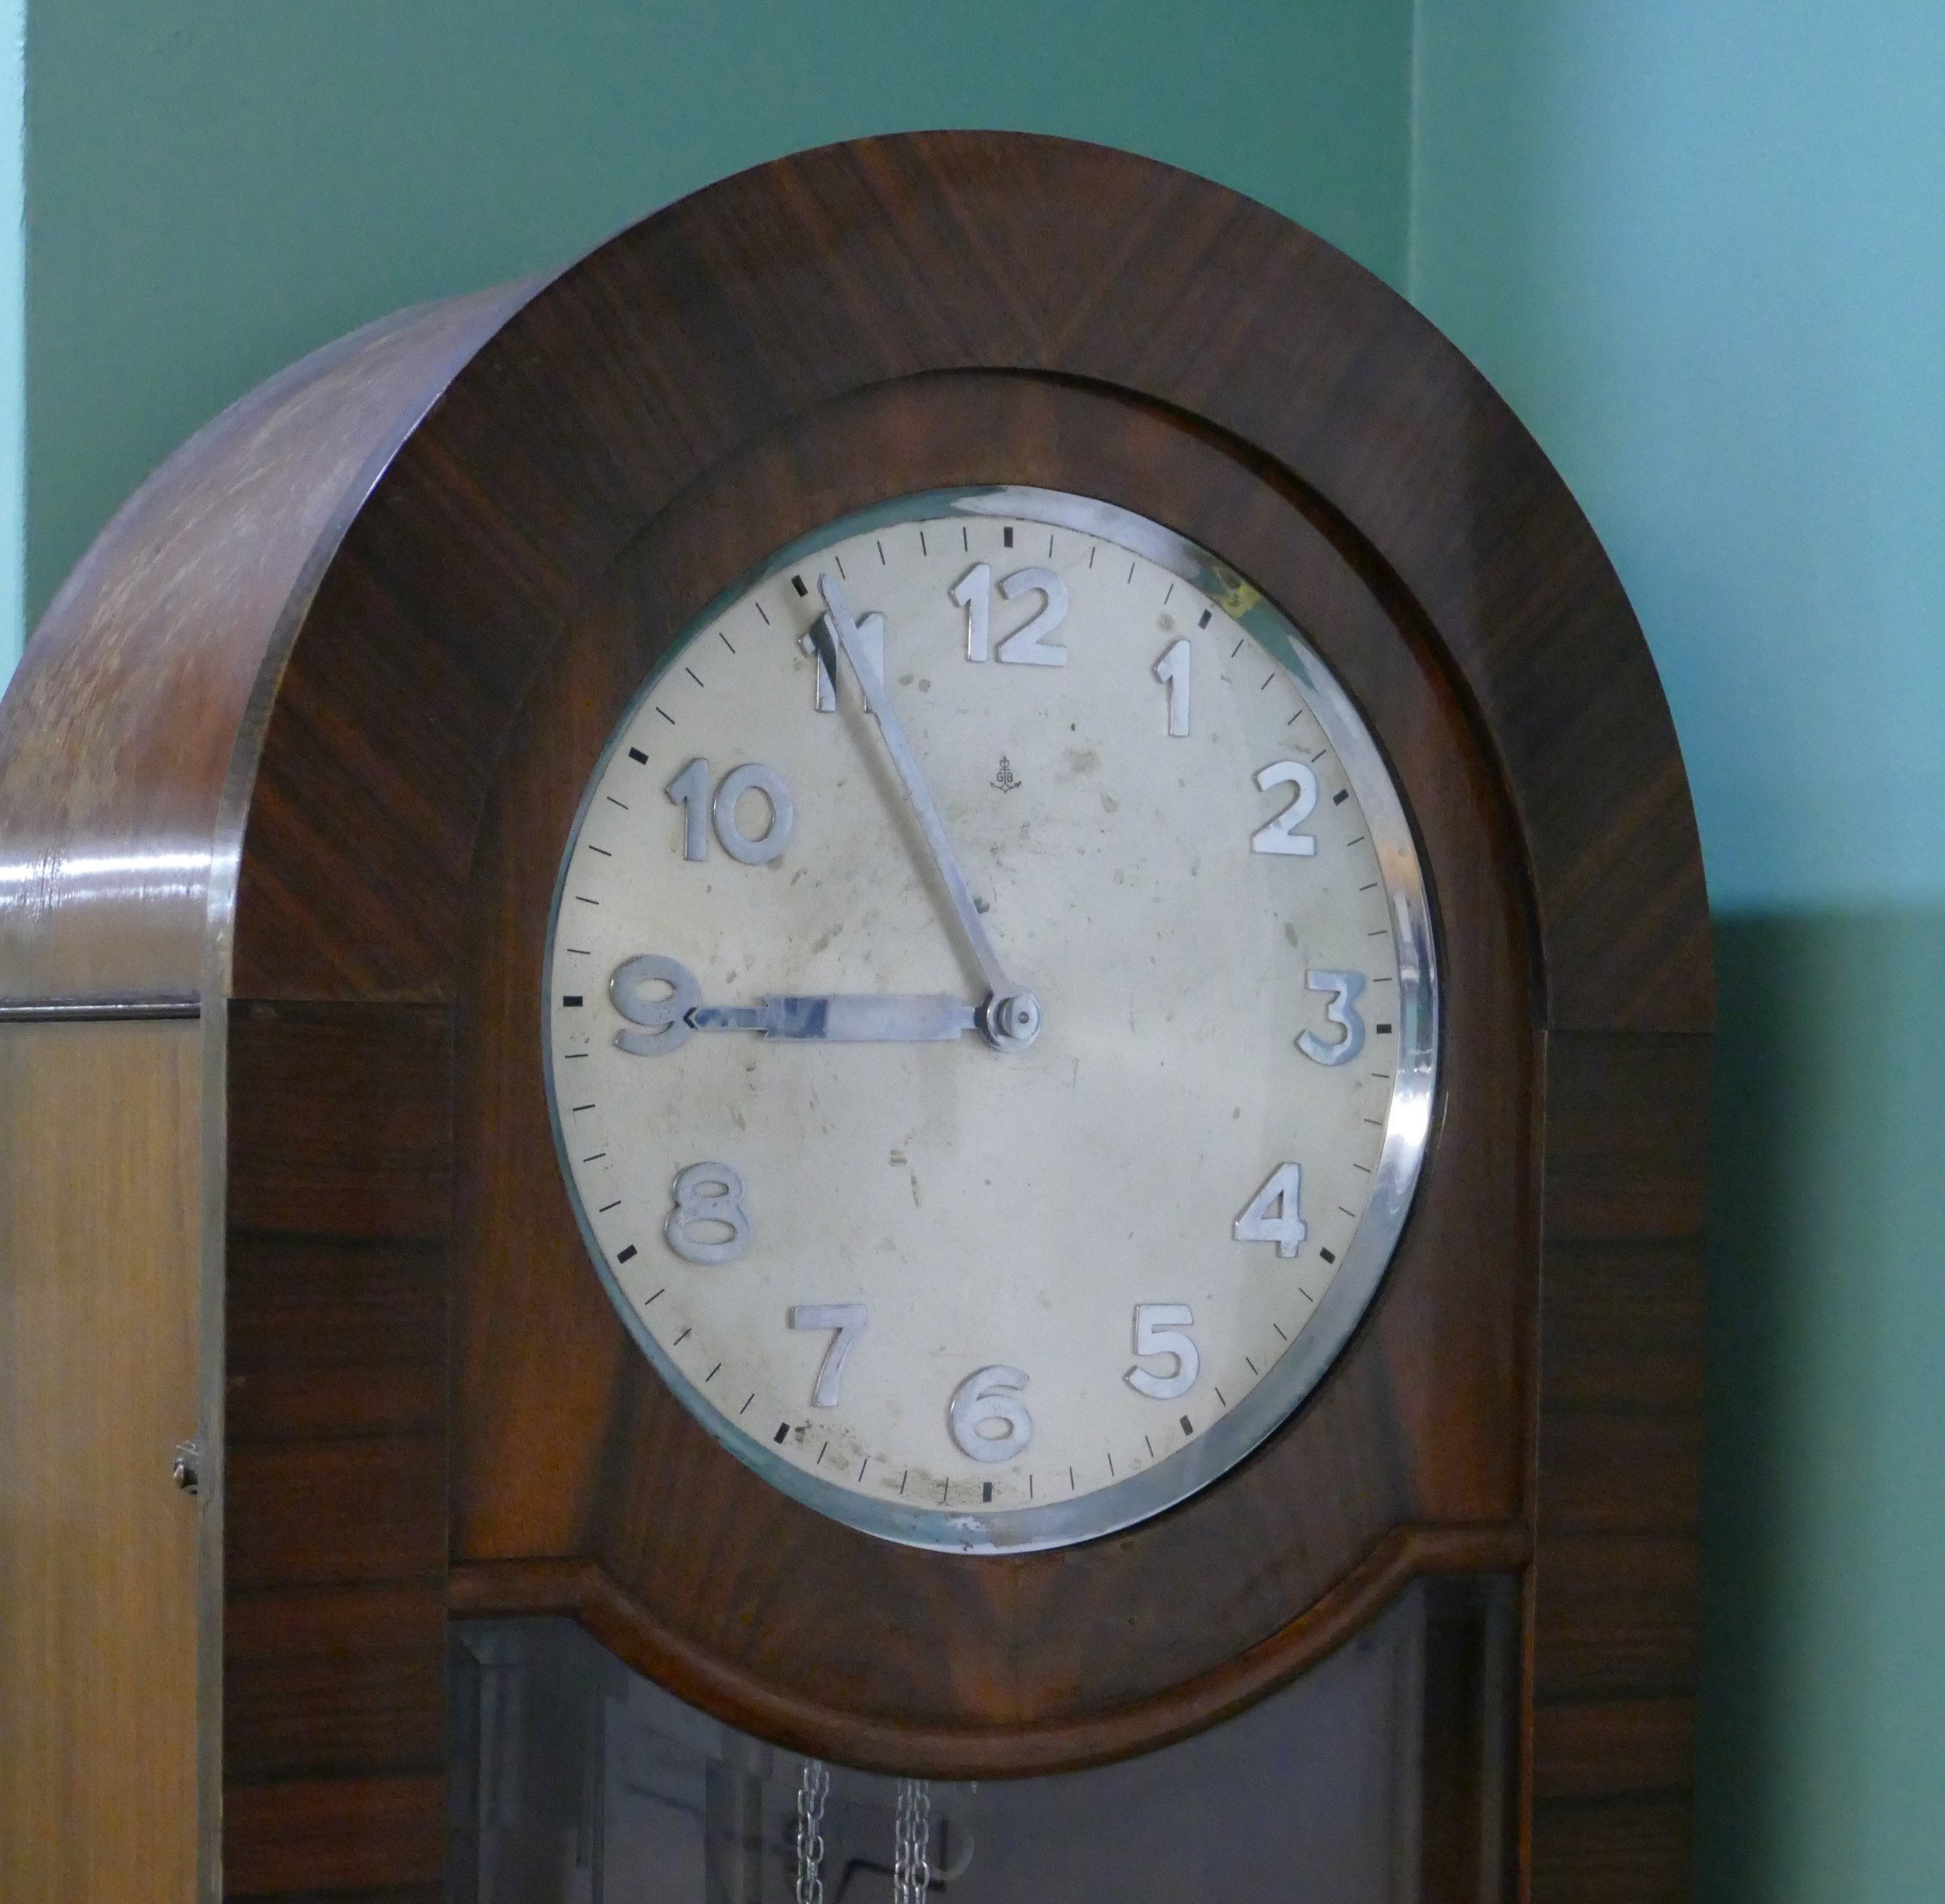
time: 8:54
